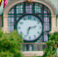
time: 2:33
